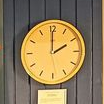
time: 2:00
